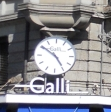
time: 4:50
